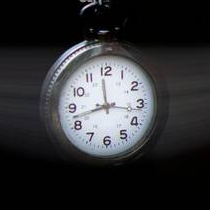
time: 11:42
